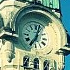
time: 7:03
